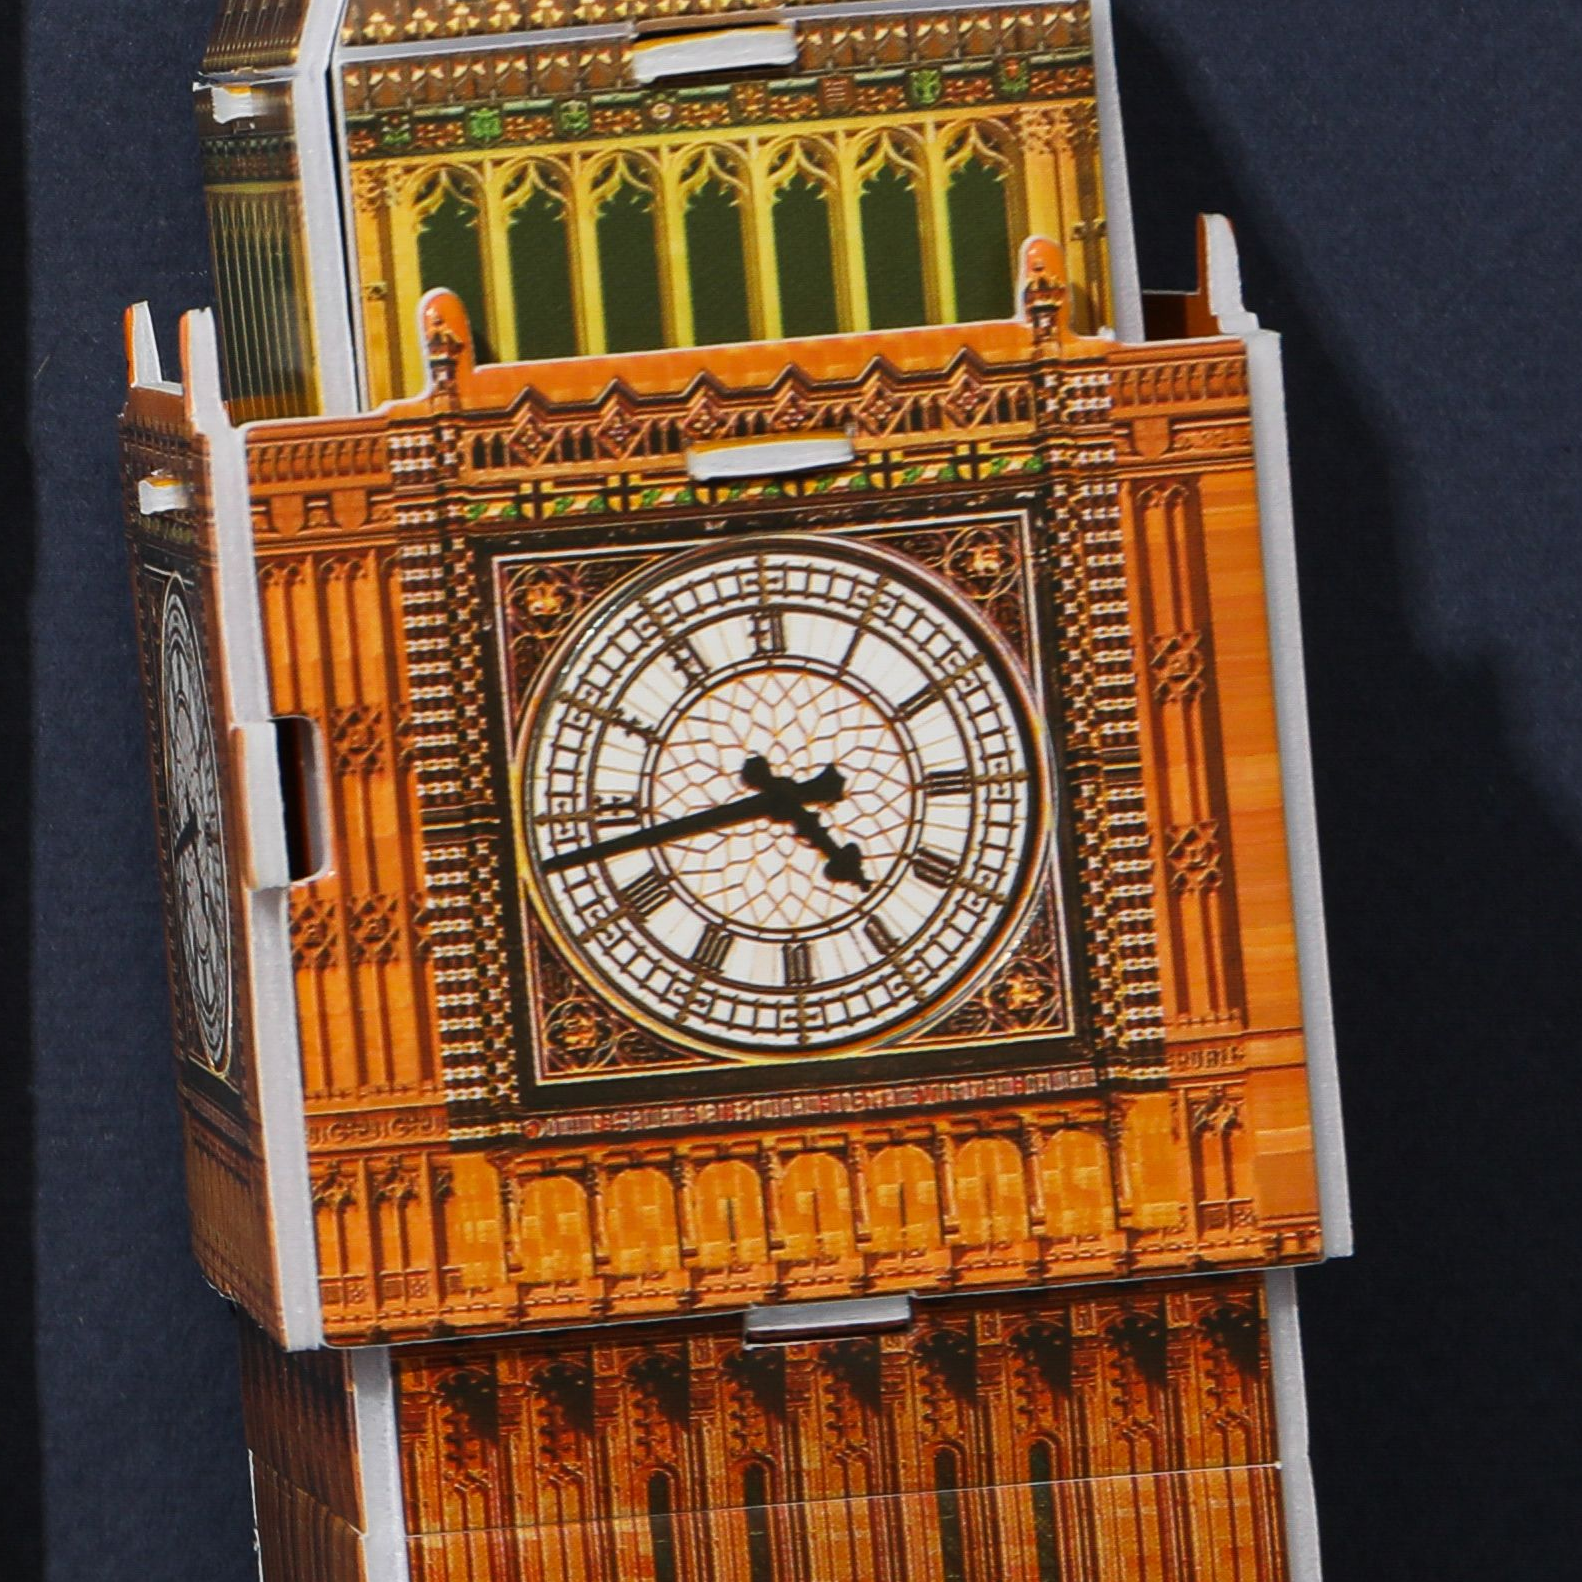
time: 4:42
